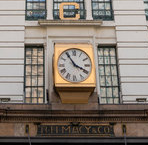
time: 3:54
